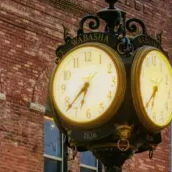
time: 6:37
